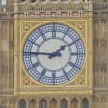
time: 1:46
